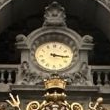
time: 3:16
